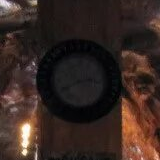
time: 2:40
